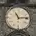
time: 11:13
